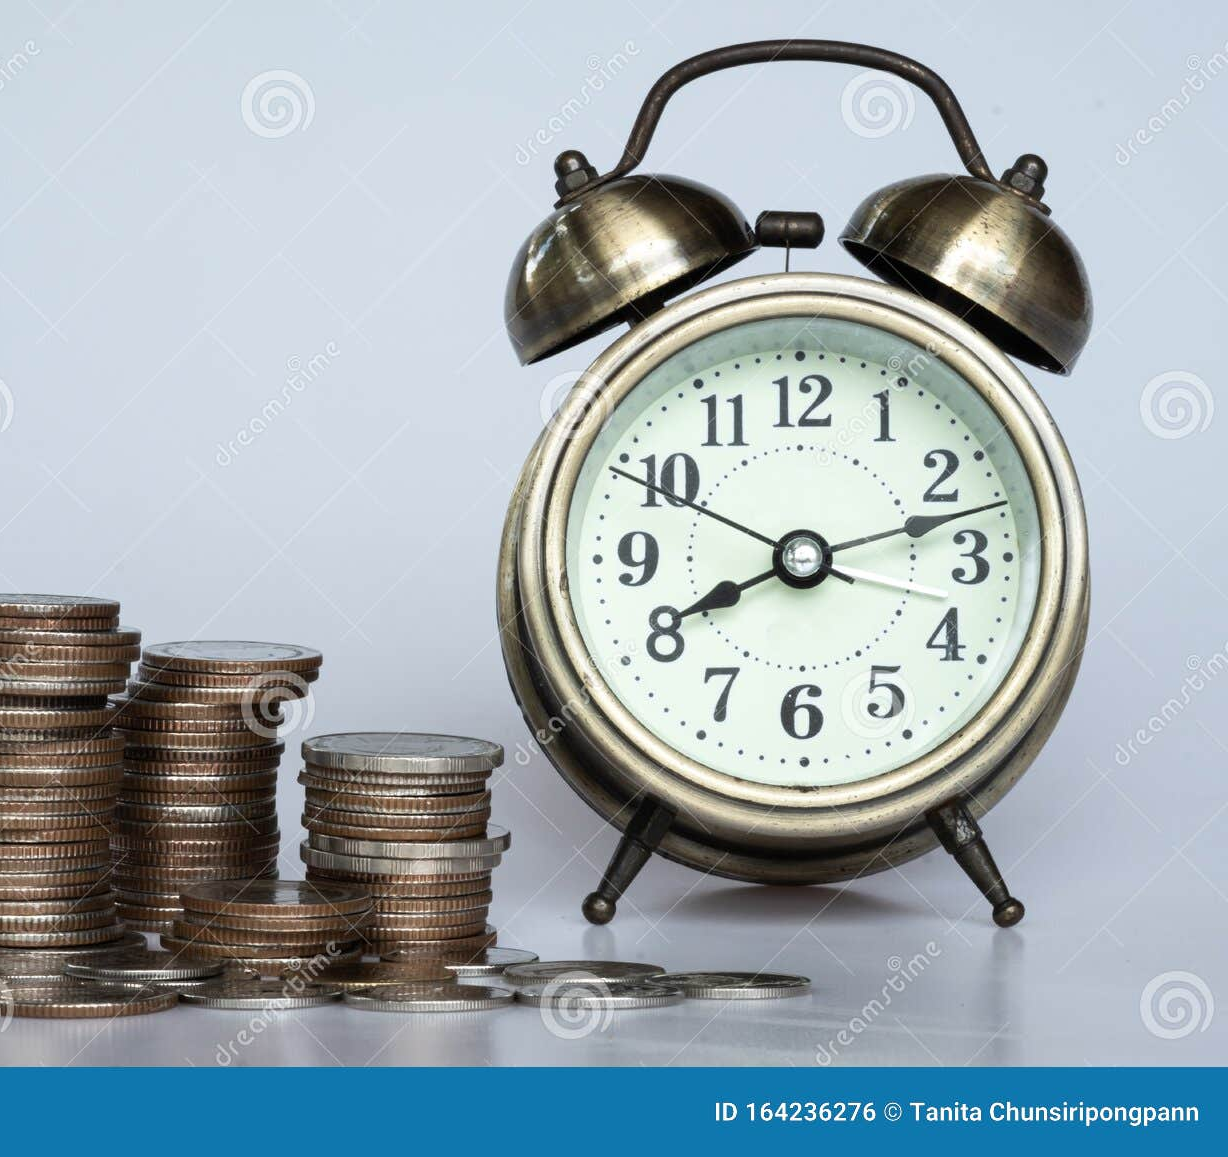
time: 8:12
